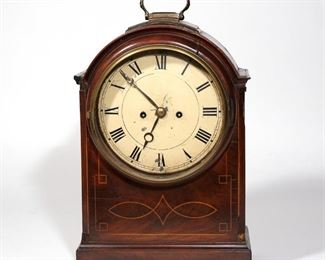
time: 6:52
